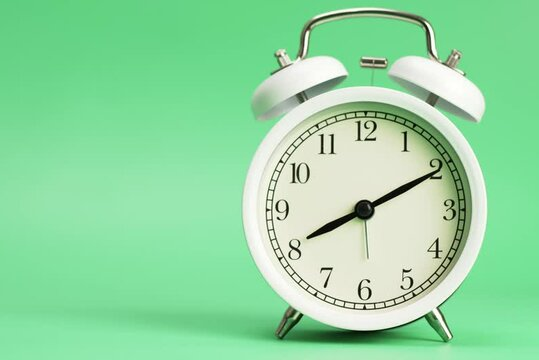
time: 8:10
